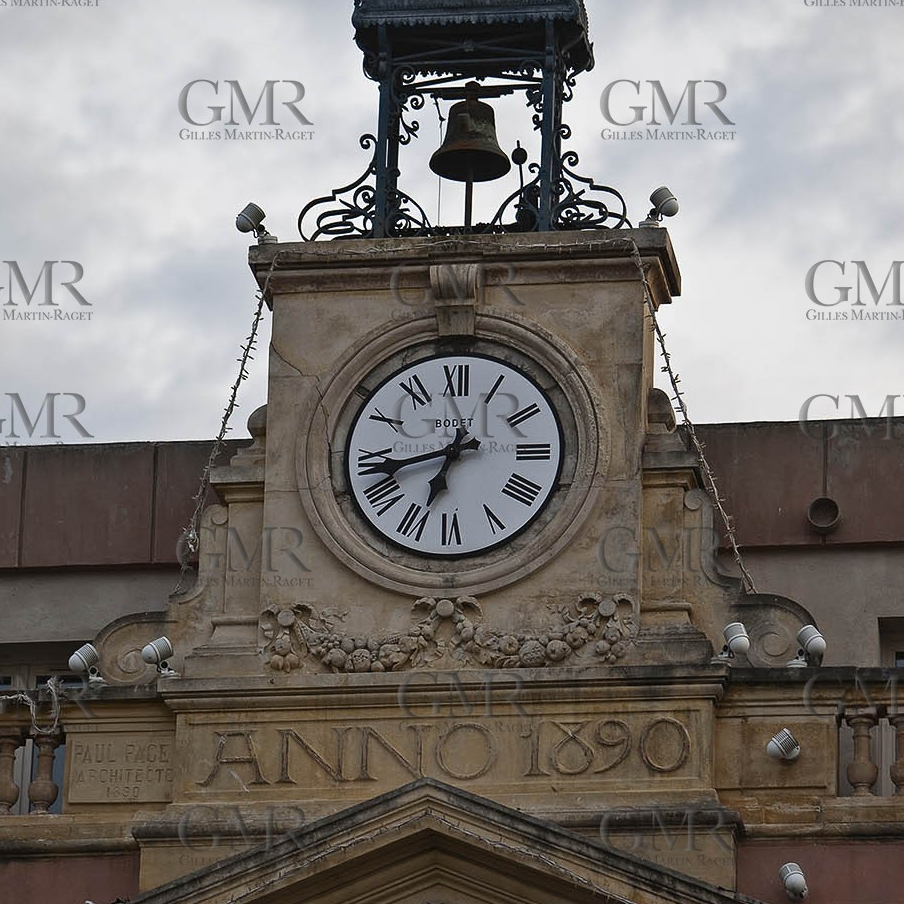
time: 6:43
